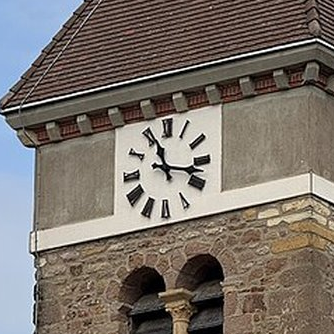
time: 11:17
